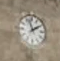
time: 1:56
